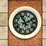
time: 11:10
